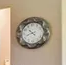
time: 10:41
